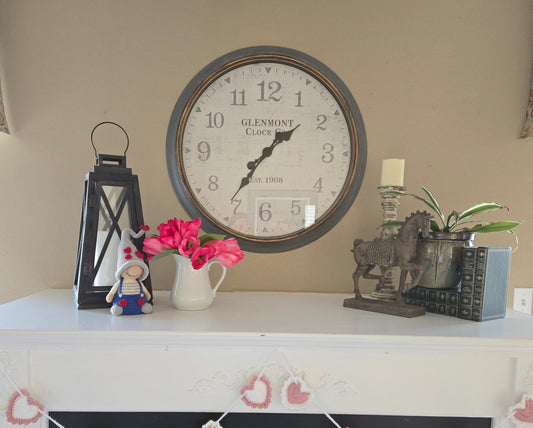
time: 1:36
